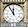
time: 11:54
